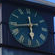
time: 5:43
